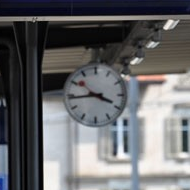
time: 3:43
